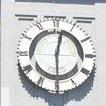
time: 12:29
